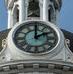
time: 2:00
